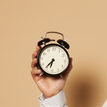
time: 6:36
